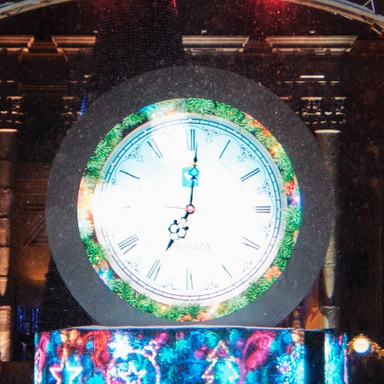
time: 7:00
